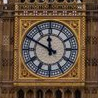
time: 11:49
